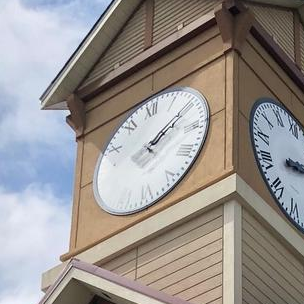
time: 2:09
